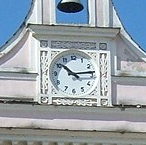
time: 10:13
